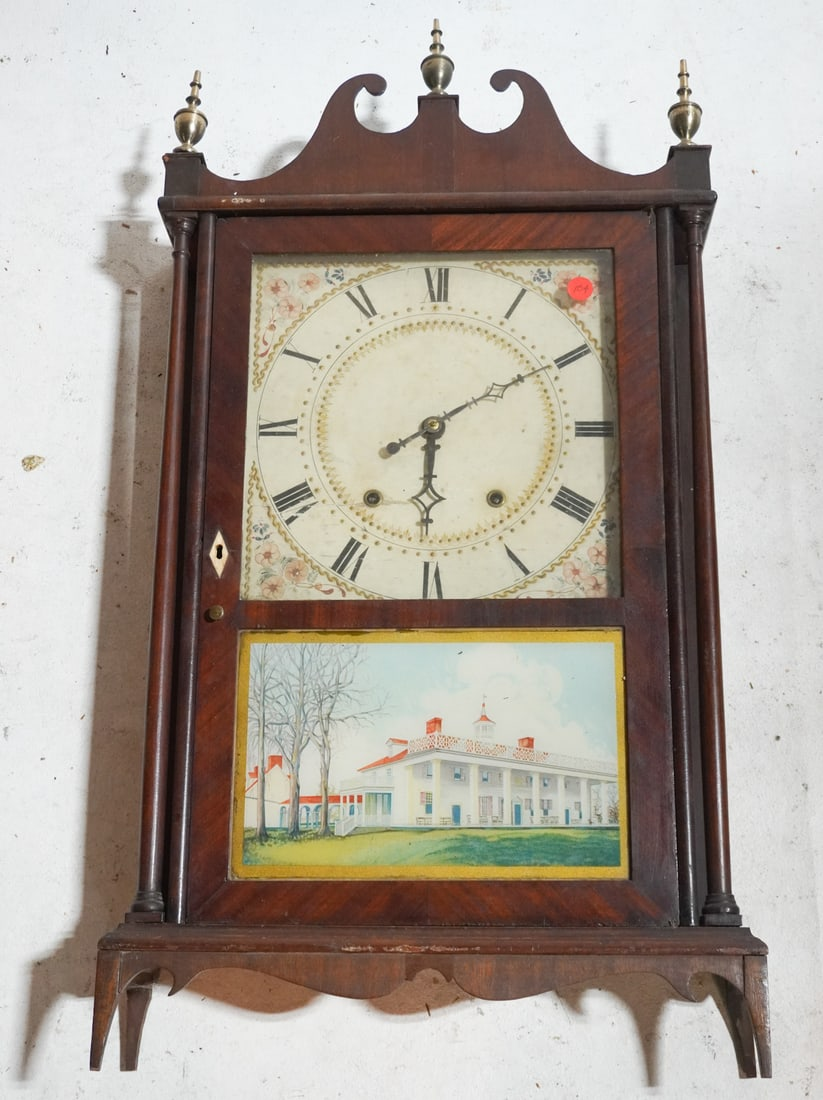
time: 6:10
